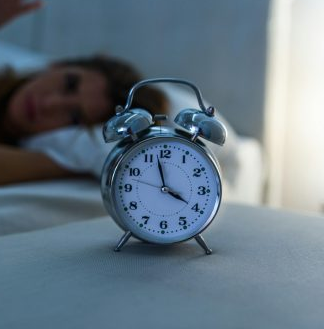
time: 3:57
